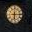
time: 6:15
